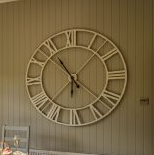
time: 5:54
